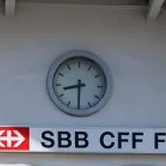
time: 8:30
